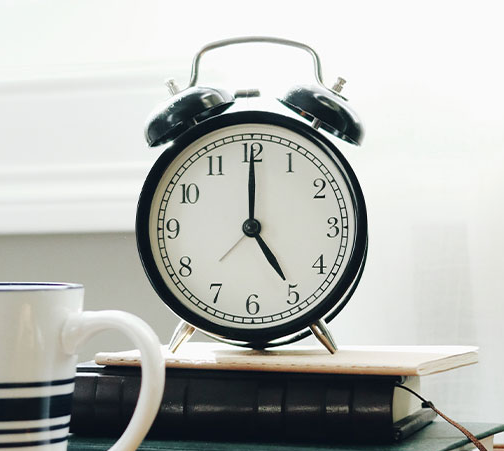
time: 5:00
